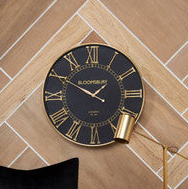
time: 1:50
